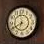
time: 6:40
